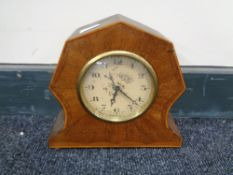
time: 6:22
